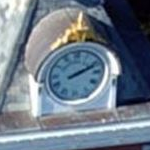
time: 2:11
